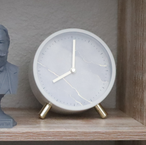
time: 8:00
